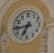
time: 6:43
